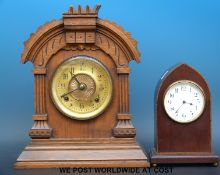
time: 10:41
